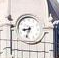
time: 8:33
